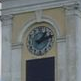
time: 1:11
